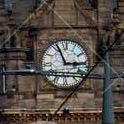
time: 2:56
